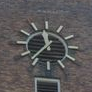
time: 11:36
